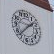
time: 1:37
